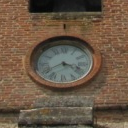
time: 3:40
